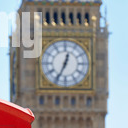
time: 12:34
